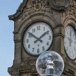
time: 1:50
